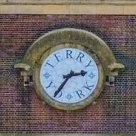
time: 2:35
